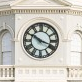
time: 3:50
